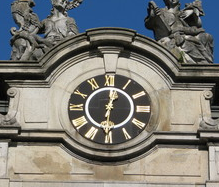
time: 12:30
